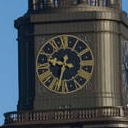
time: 9:33
